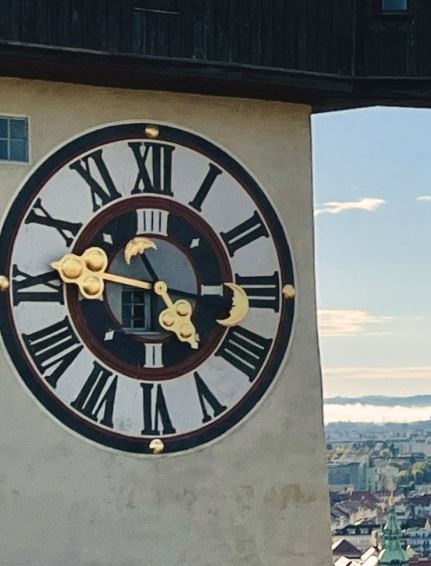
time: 4:46
